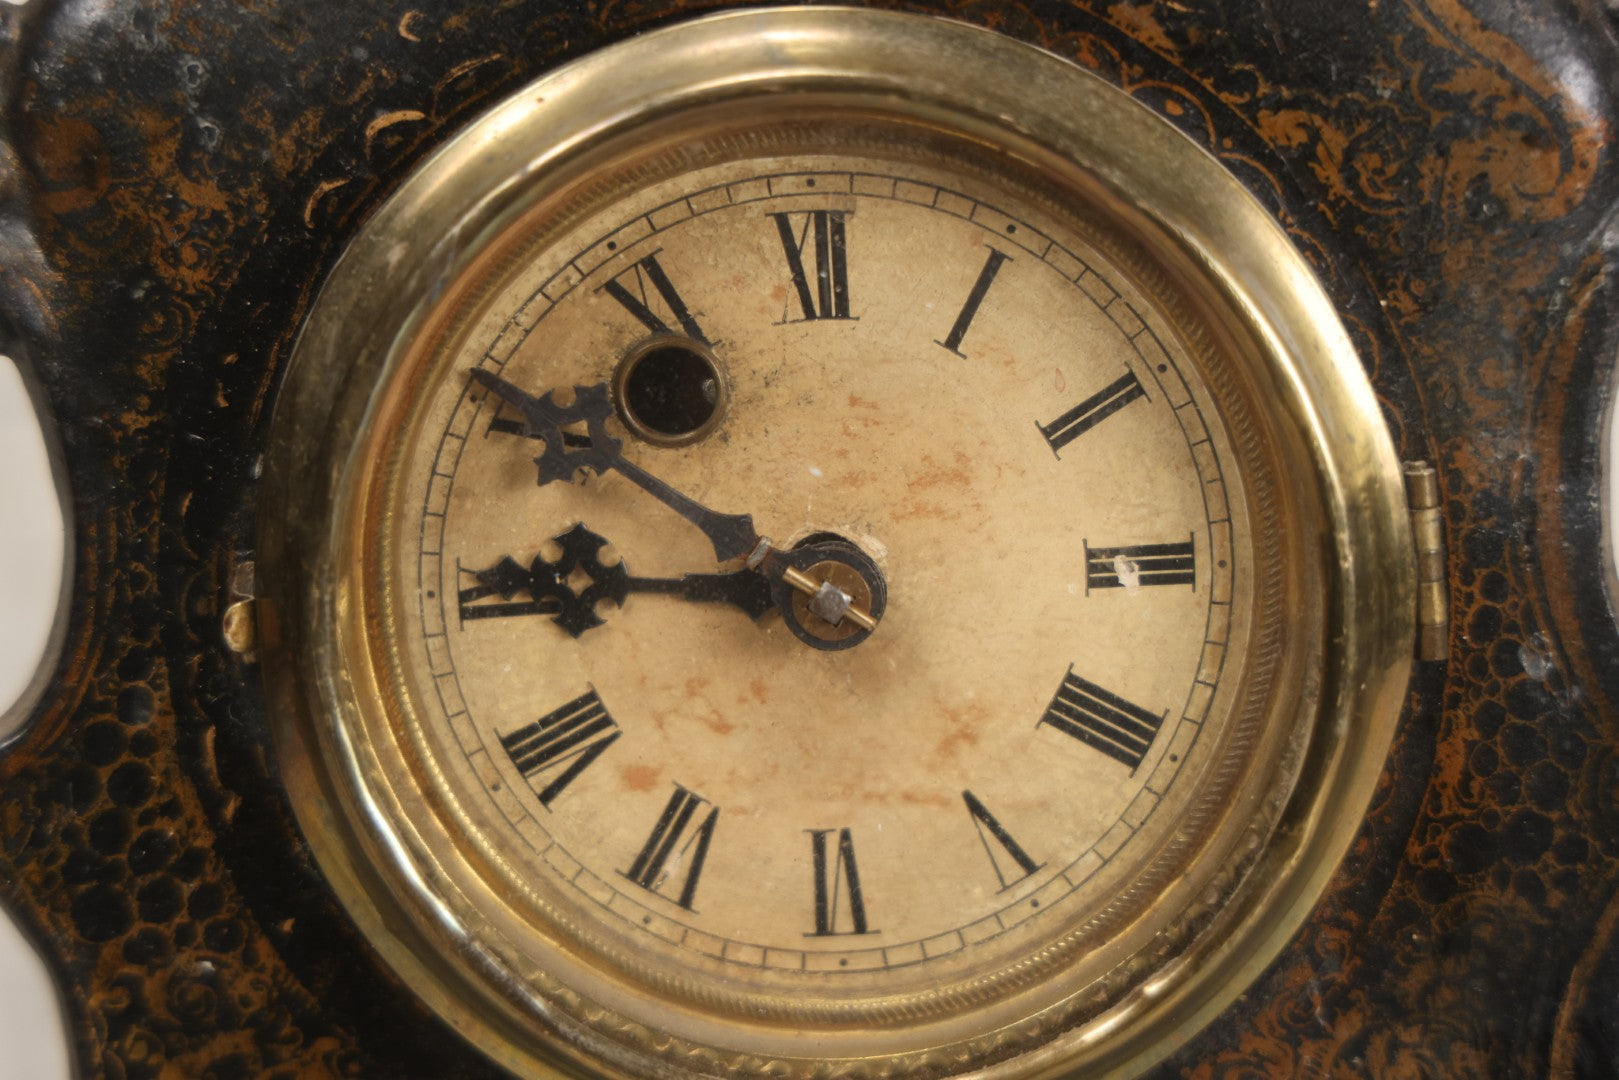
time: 8:50
